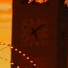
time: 5:08
